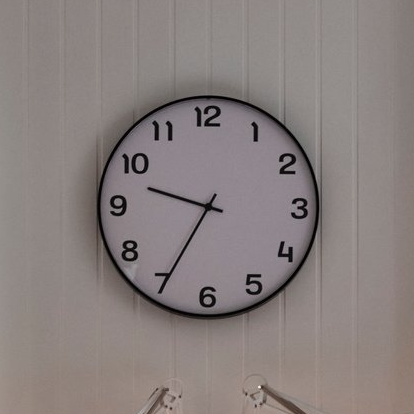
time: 9:34
